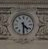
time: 4:29
